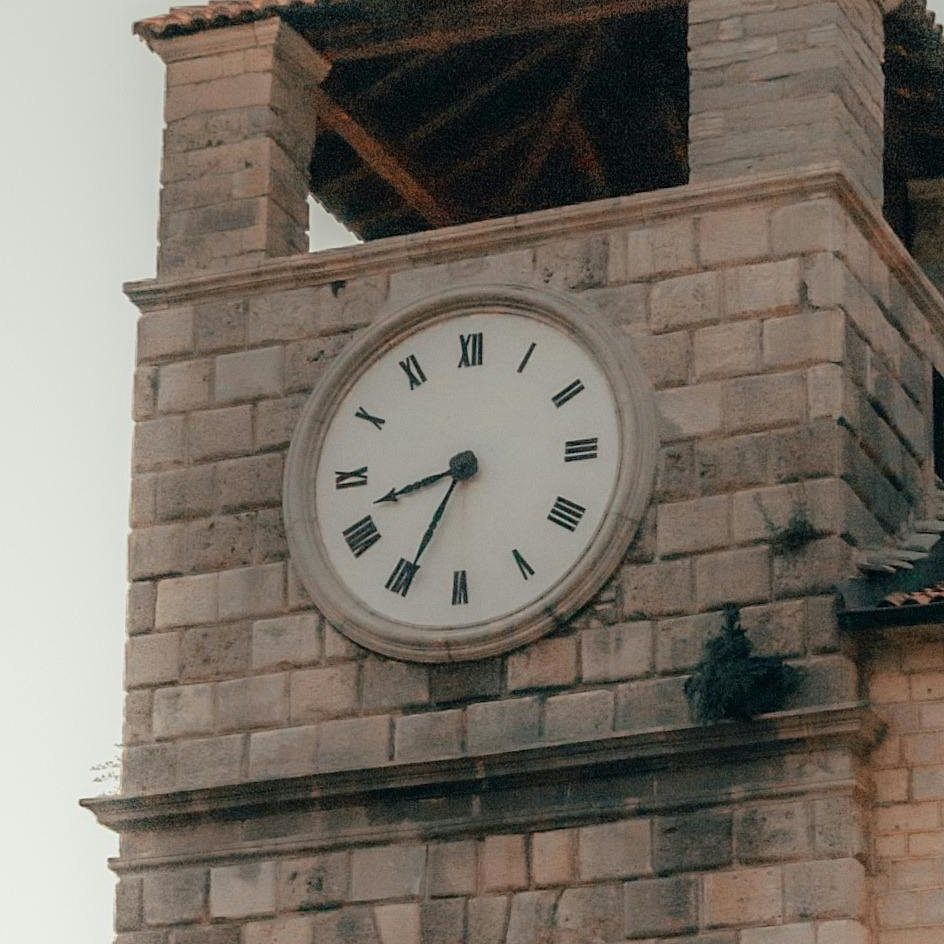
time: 8:34
